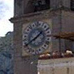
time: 1:39
